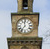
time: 11:36
